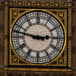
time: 2:47
